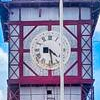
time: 4:28
